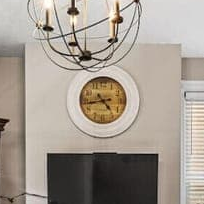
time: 4:43
